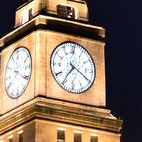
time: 7:19
